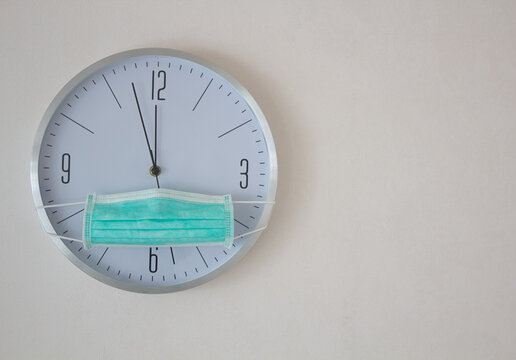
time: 11:57
